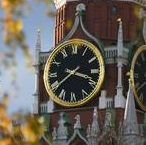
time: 3:39
